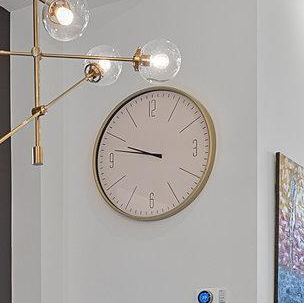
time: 9:47
